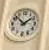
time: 1:52
